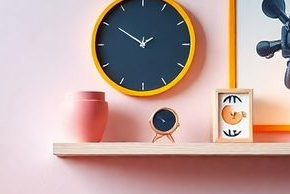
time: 1:50
